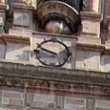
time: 9:48
